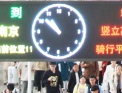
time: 10:51
